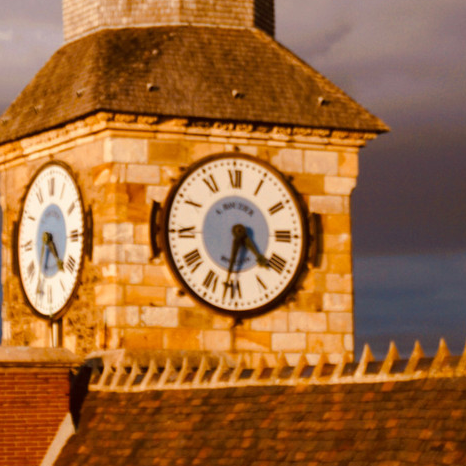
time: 4:32
